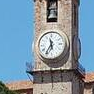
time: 11:35
